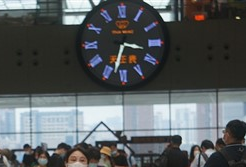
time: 3:32
